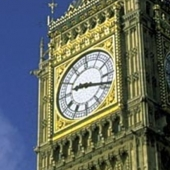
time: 9:18
